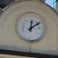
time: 12:09
